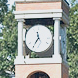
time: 11:35
